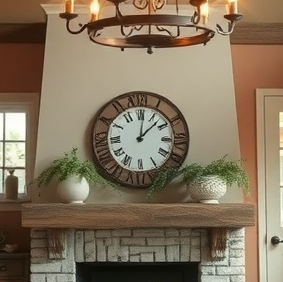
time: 12:07
